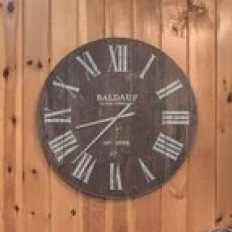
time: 8:37
